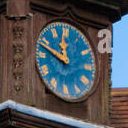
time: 11:48
